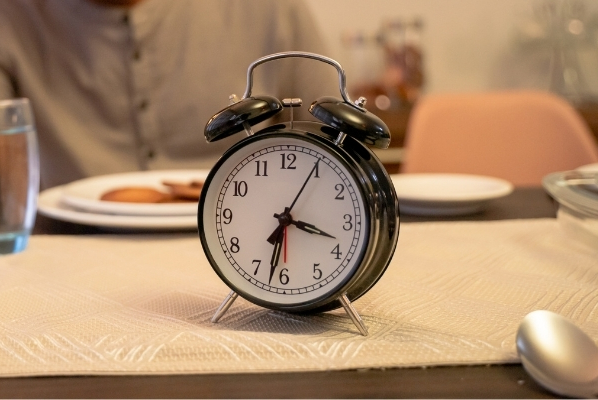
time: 3:32
